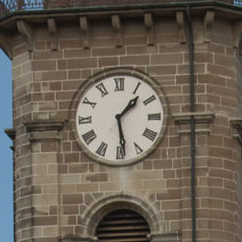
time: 1:28
